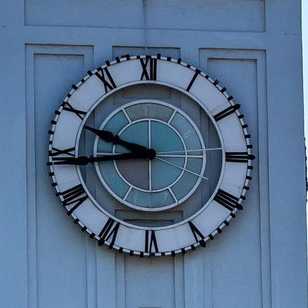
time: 9:44
